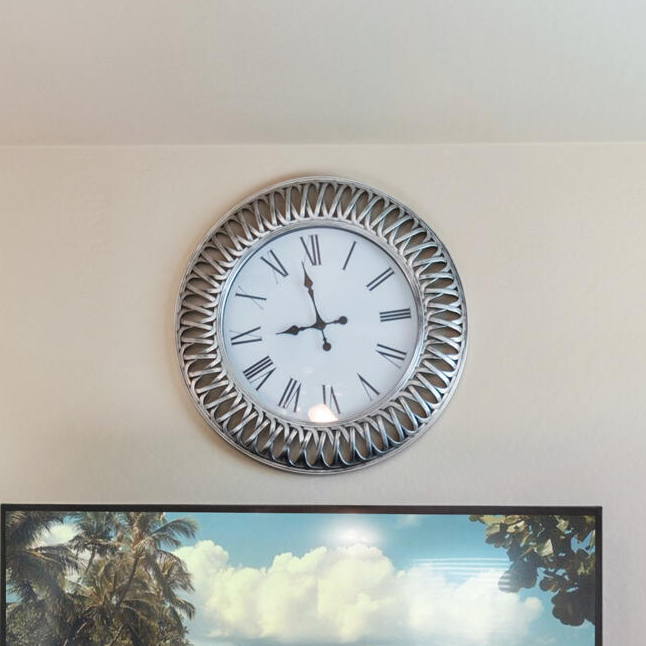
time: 8:57
